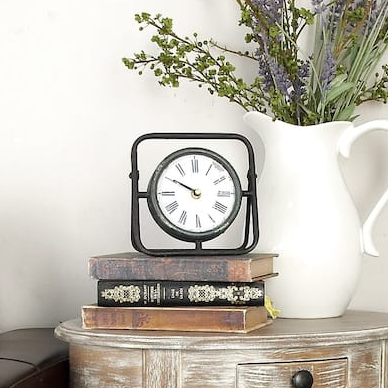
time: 9:50
